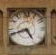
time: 4:42
